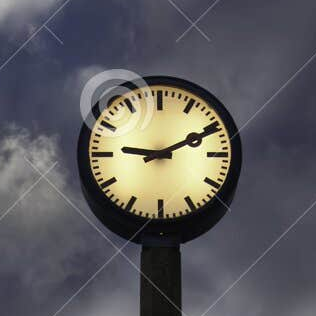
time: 9:10
